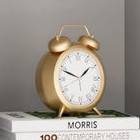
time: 1:48
